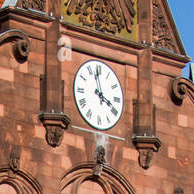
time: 3:58
